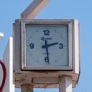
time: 2:29
